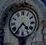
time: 4:36
